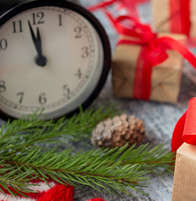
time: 11:57
